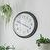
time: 3:48
